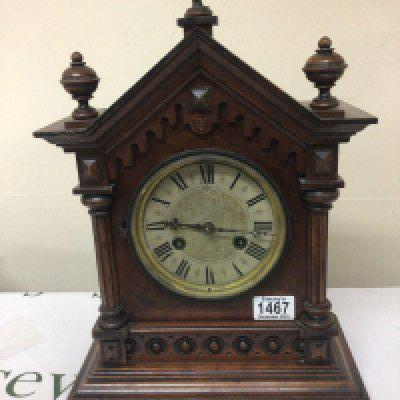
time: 3:46
